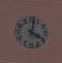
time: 4:01
